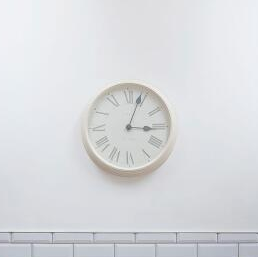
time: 3:03
